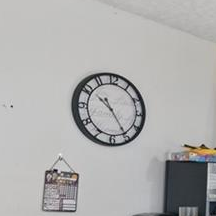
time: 10:24
